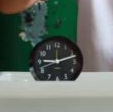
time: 9:11
